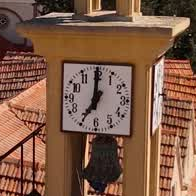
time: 7:00
